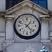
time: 1:22
